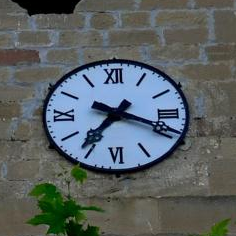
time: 7:18
